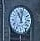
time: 11:02
